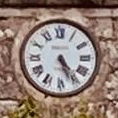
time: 4:26
